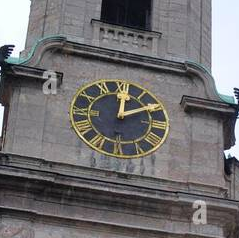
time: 12:09
